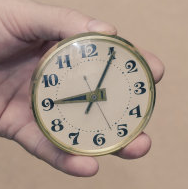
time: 9:05
